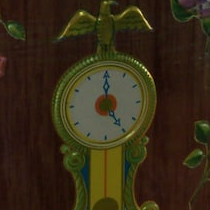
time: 4:59
